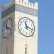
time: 11:17
